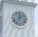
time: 12:07
